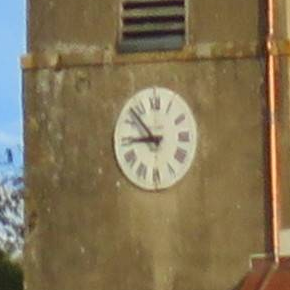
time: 8:52
